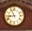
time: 8:56
